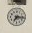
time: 7:15
